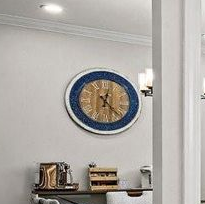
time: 12:23
